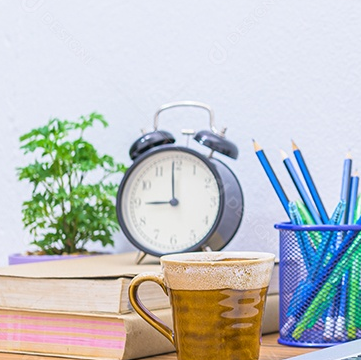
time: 8:59
